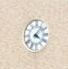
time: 4:07
